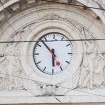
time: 5:52
